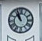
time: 10:56
